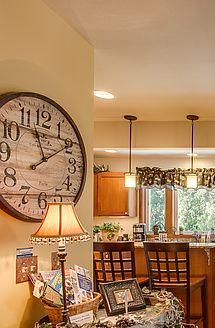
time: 11:09
